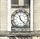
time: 11:22
